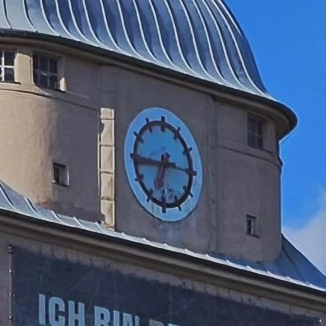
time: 6:44
